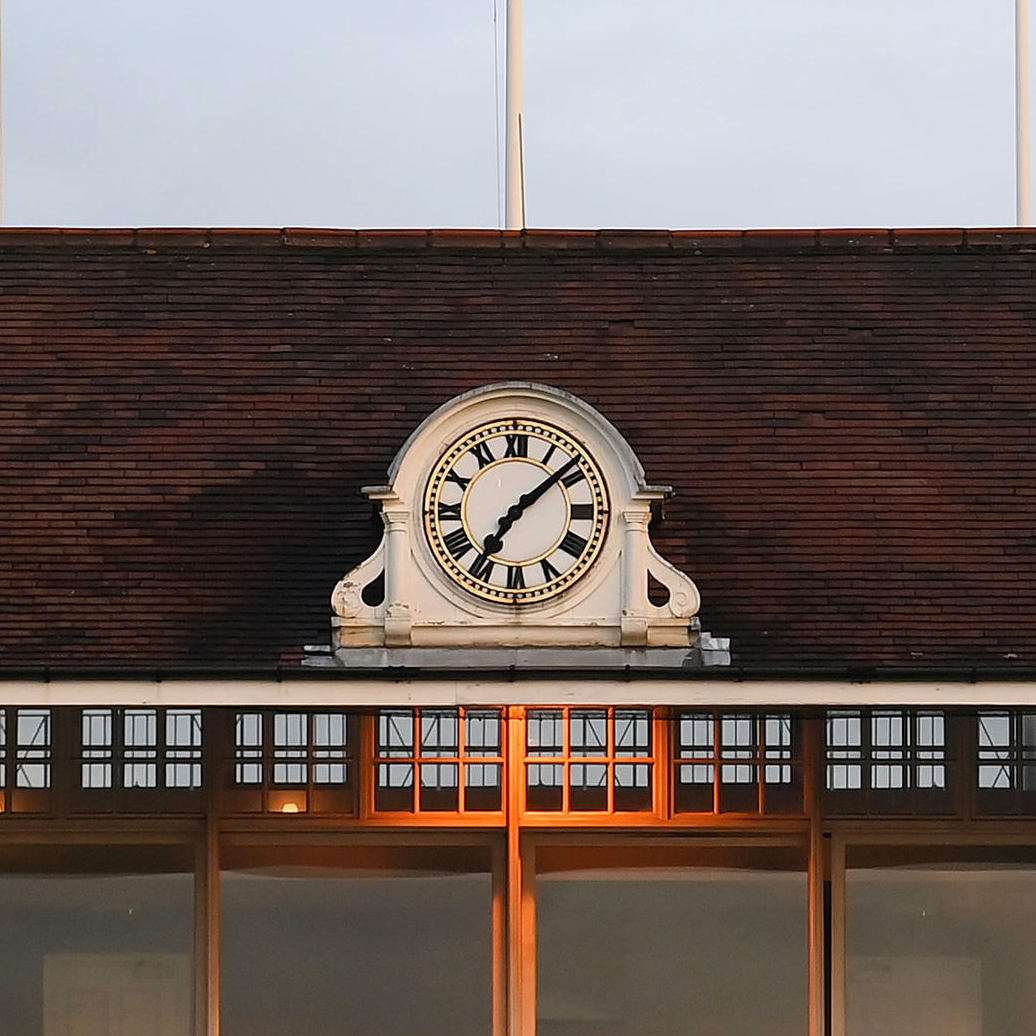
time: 7:08
